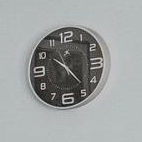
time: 10:23
